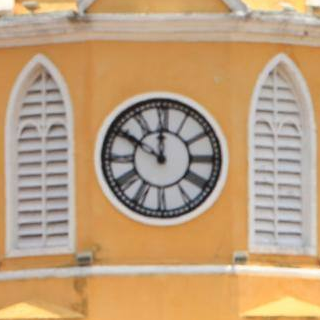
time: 11:50
